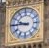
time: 9:45
